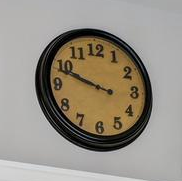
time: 9:48
